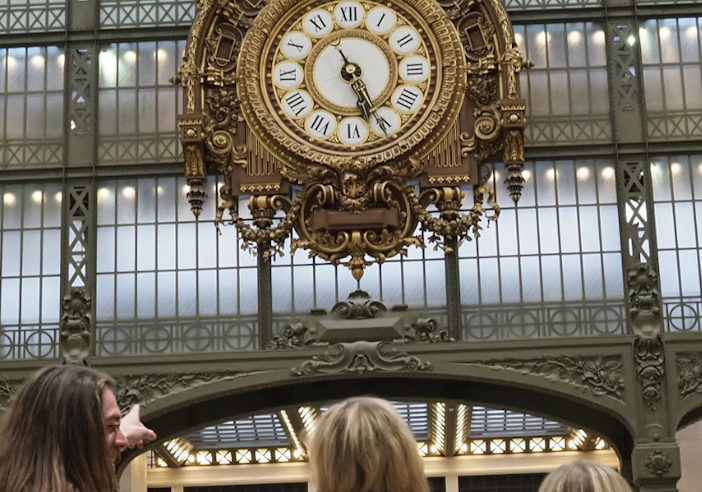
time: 5:26
